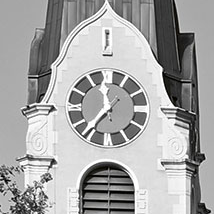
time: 11:36
